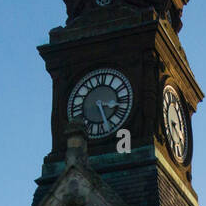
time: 3:27
